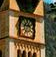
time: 9:36
